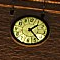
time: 1:23
